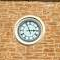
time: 2:56
